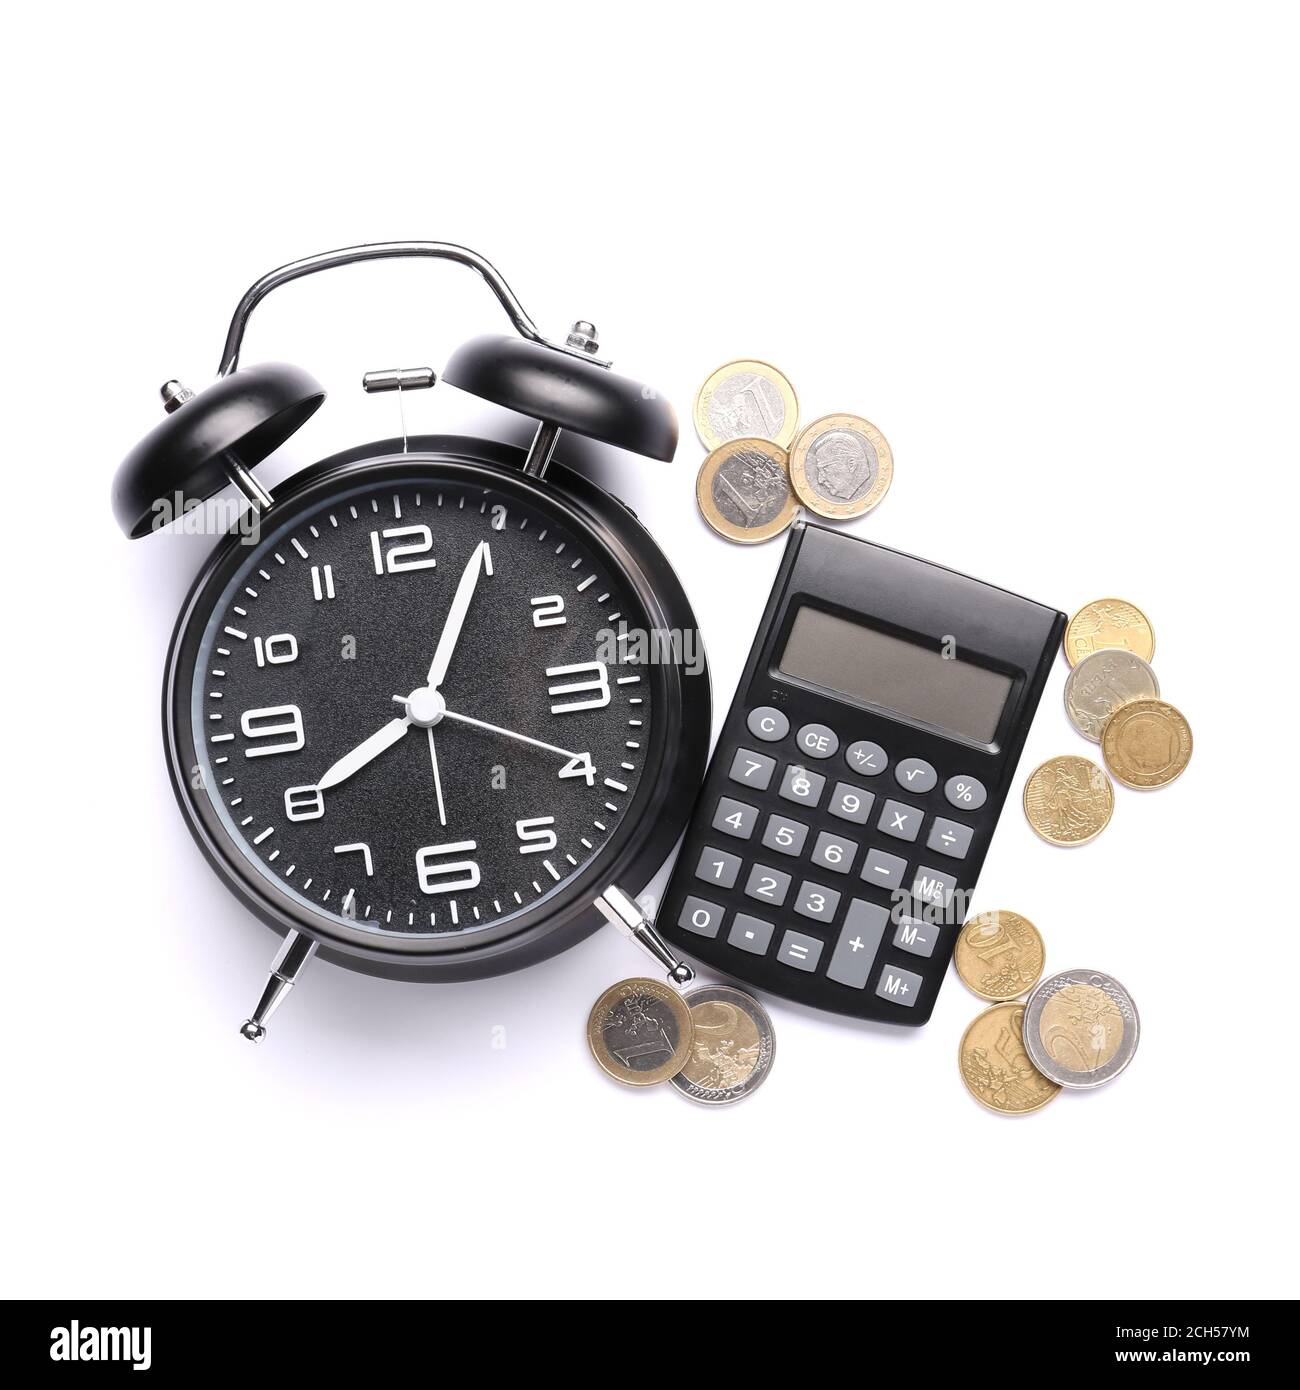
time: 8:04
